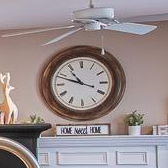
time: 10:48
